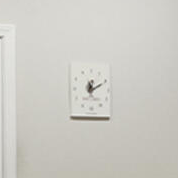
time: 12:10
